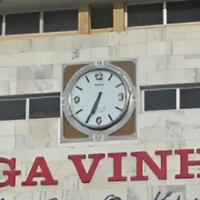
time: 6:34
